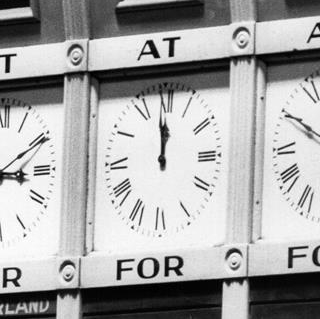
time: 11:58
